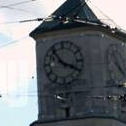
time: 3:53
